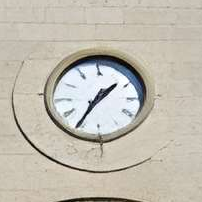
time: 1:35
